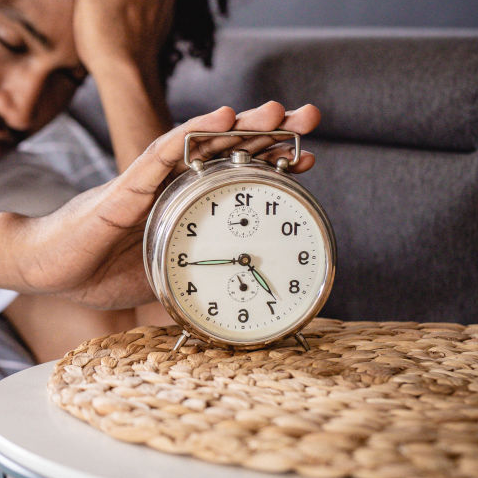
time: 4:44
